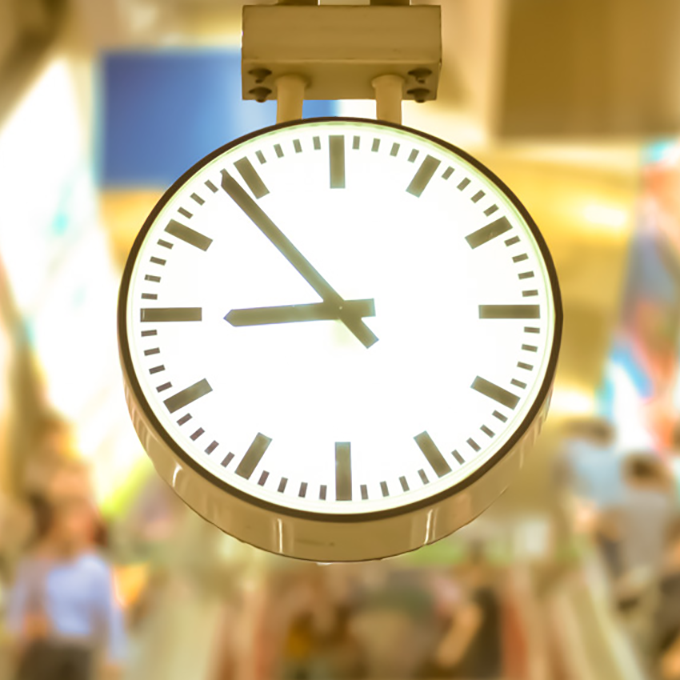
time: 8:53
